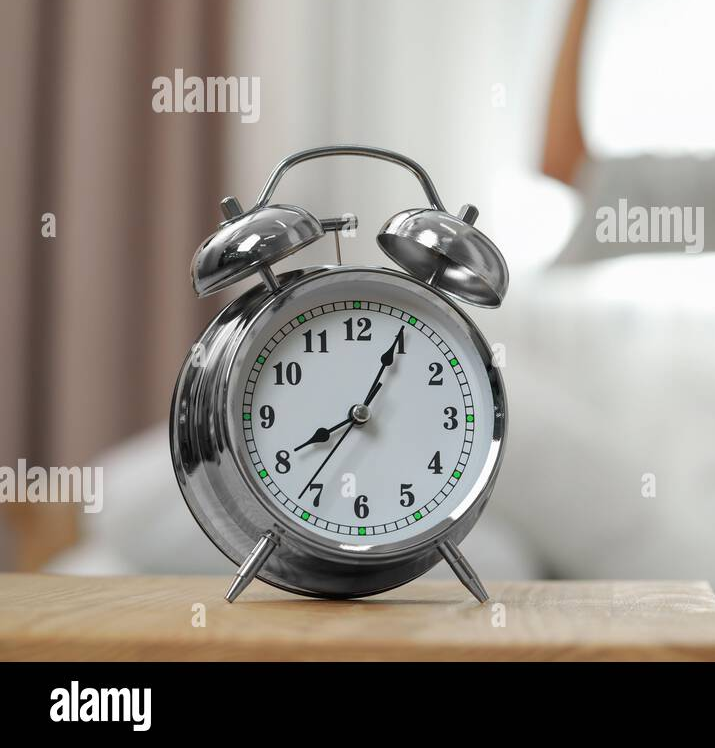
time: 8:04
